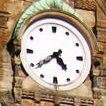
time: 4:38
